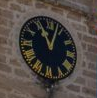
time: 11:03
